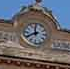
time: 11:40
